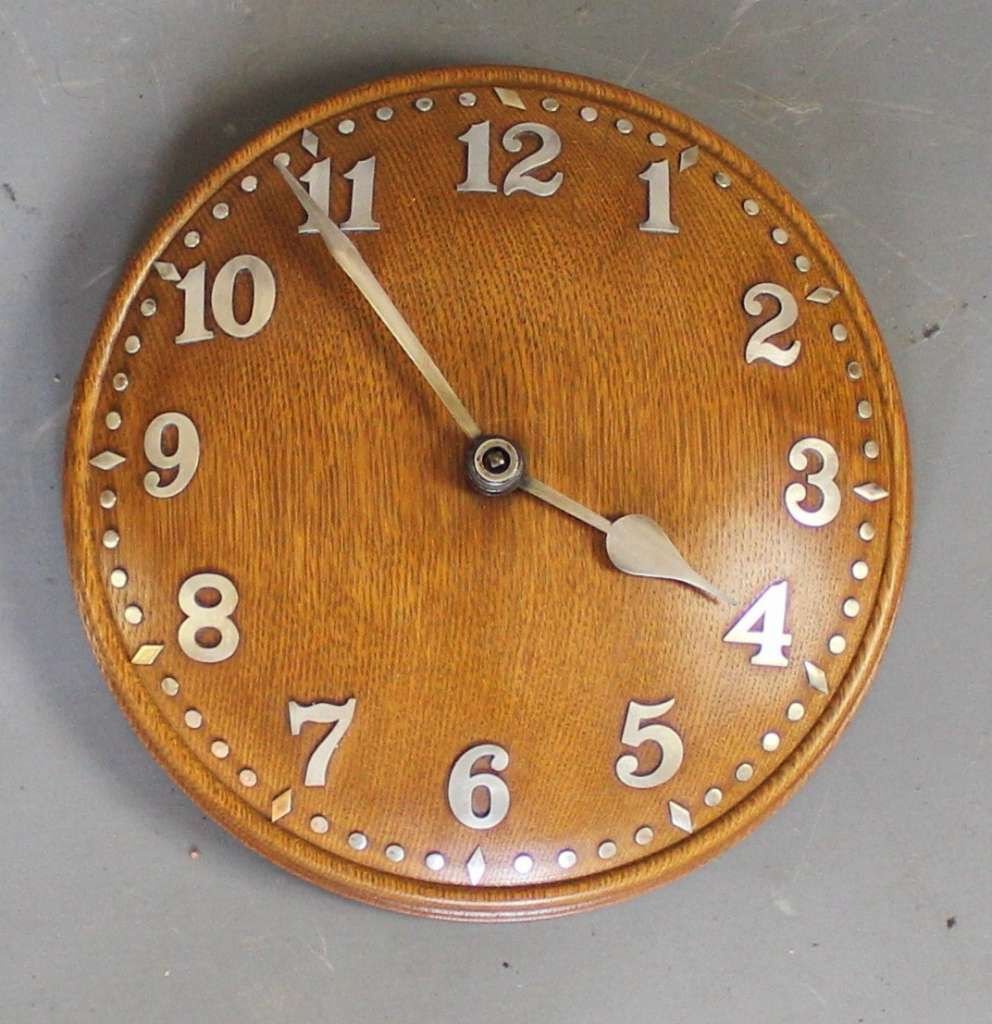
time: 3:53
